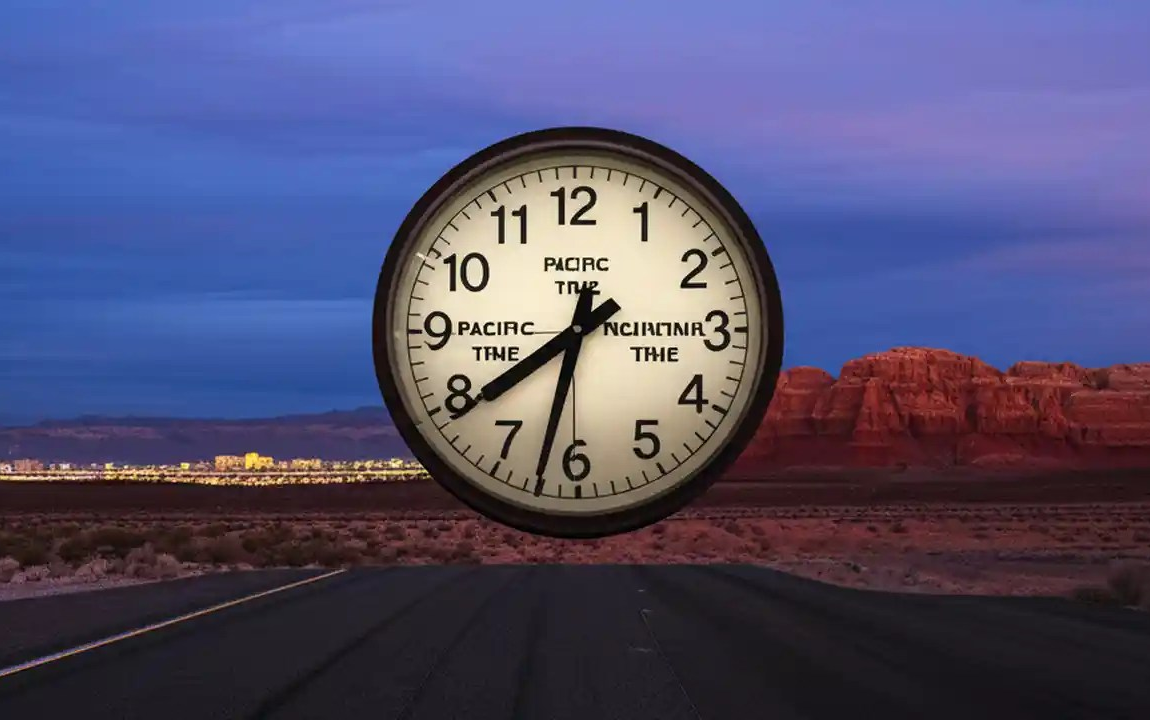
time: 7:32
